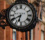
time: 6:40
